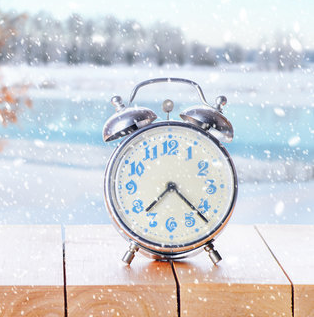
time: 7:22
